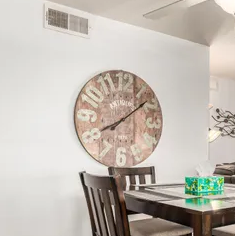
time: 8:09
